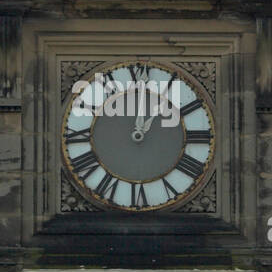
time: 1:00
